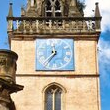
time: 7:36
